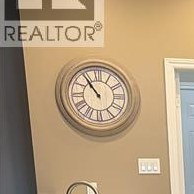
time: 10:54
